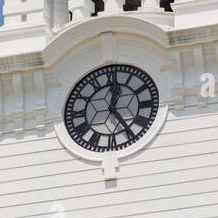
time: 12:23
